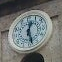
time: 12:27
